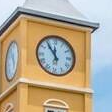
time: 11:54
